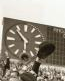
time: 10:29
